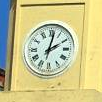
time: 2:02
